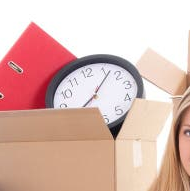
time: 8:07
